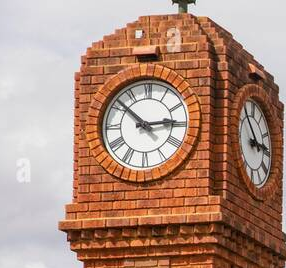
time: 2:51
